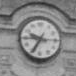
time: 9:34
